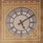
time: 5:09
